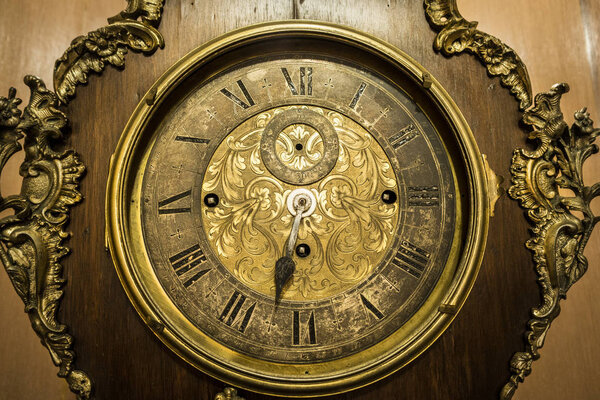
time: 6:32
